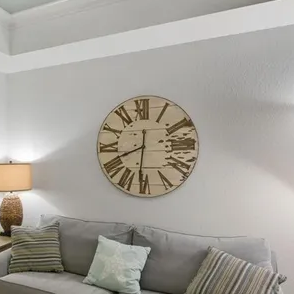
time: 8:31
